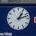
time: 1:12
